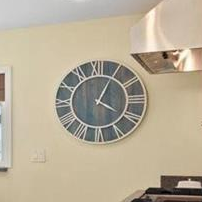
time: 4:04
